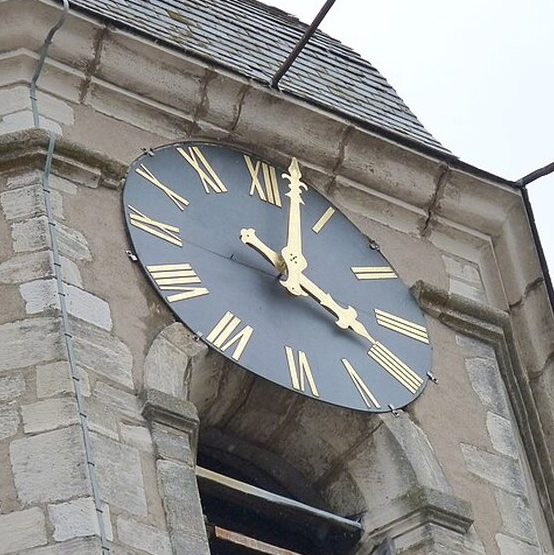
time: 4:02
